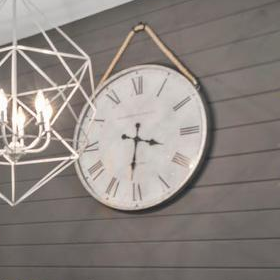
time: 3:31
